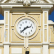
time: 2:38
